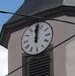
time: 12:01
